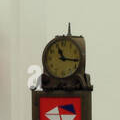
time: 11:16
